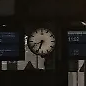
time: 6:41
